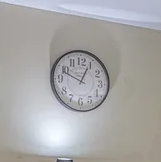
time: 12:48
